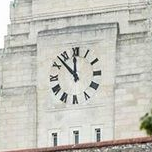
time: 11:52
